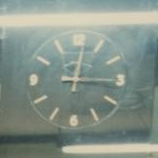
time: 12:15
